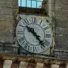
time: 10:23
